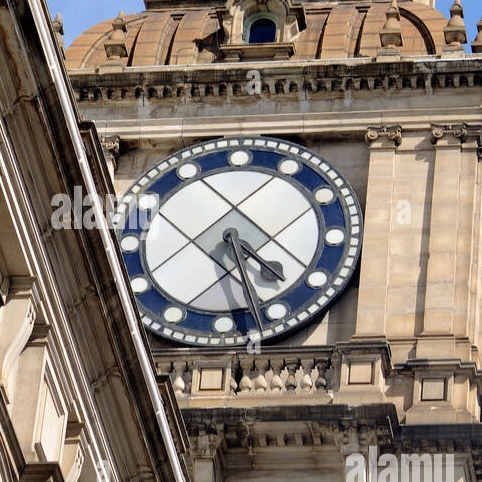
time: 4:27
